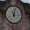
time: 11:02
